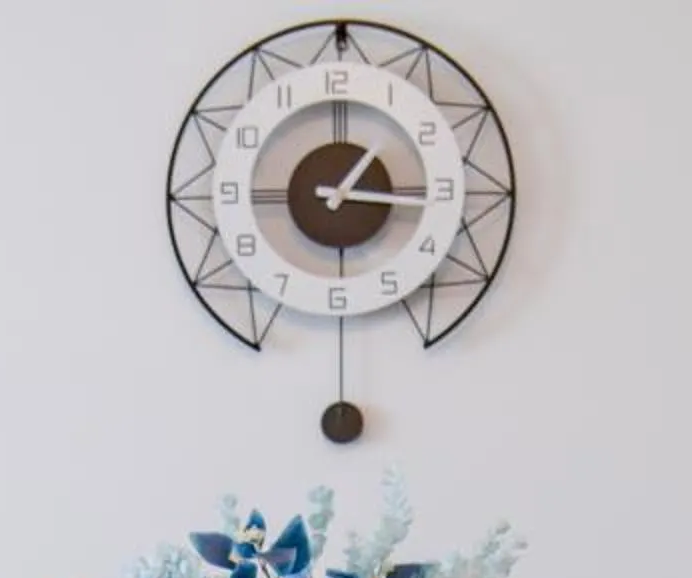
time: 1:16
